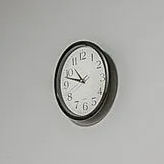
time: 10:47
